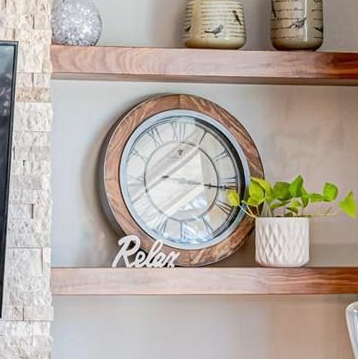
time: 1:16
